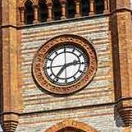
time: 2:36
